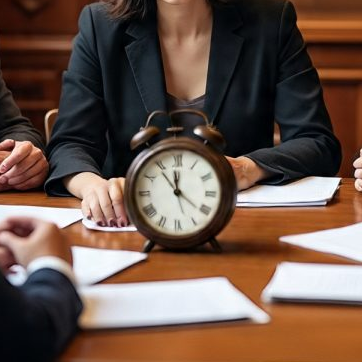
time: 11:54
